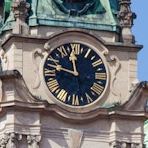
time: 11:47
